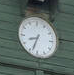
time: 8:33
